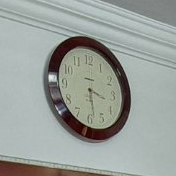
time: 3:28
